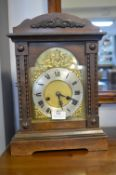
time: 5:18
